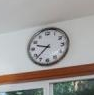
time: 9:38
